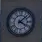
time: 4:07
